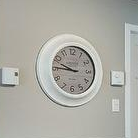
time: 9:45
